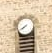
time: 7:39
